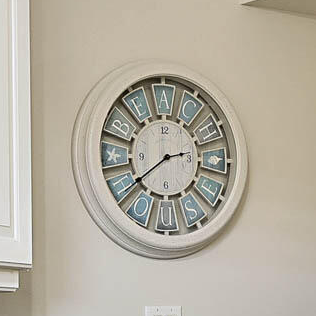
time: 2:39
